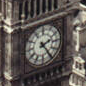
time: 2:24
